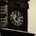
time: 12:07
